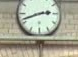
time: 2:42
